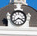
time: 3:39
